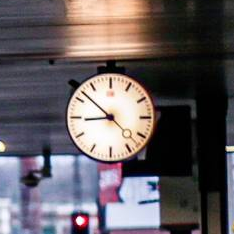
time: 8:52
